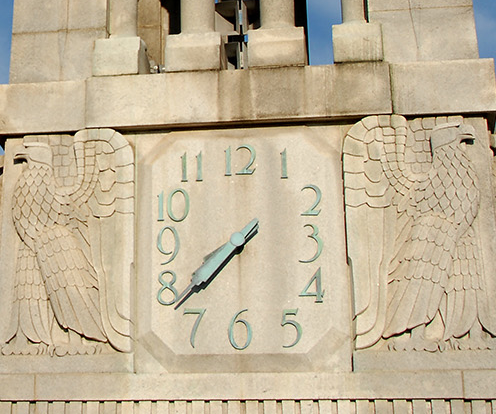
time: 7:38
